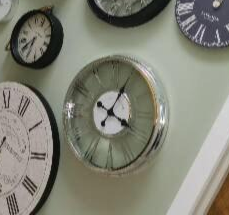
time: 4:04
